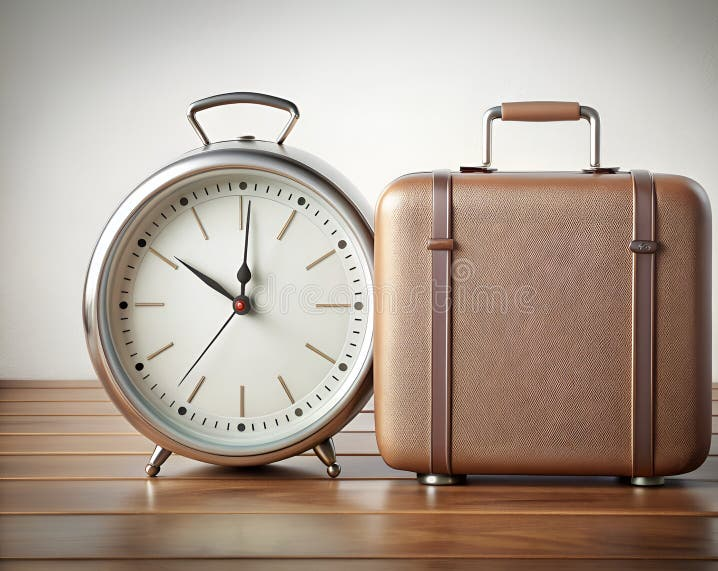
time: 10:00
